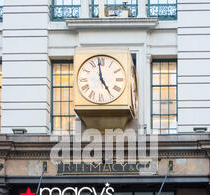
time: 4:58
